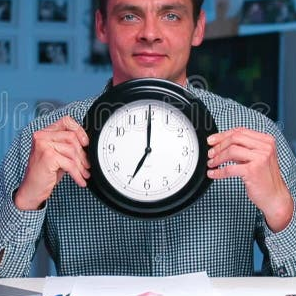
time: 7:00
